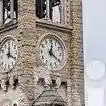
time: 12:20
